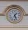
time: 1:26
